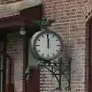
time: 11:59
